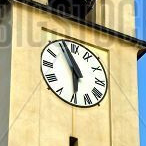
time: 5:55
